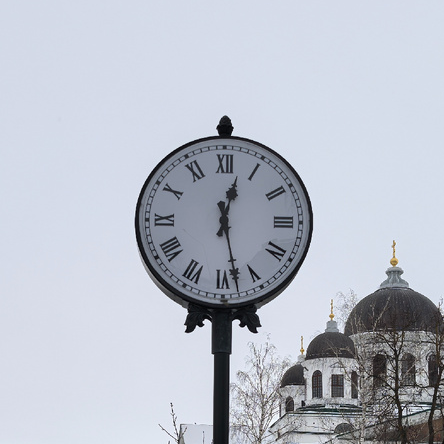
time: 12:28
